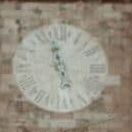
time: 4:57
